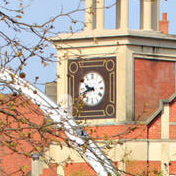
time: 9:42
